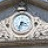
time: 3:32
